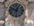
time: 12:49
